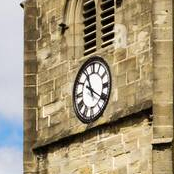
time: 11:20
